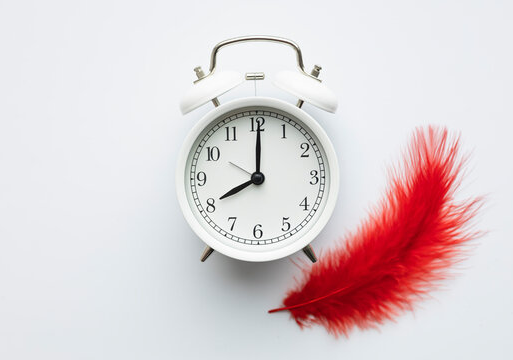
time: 8:00
